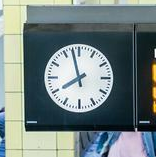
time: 7:57
